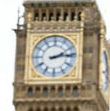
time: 2:13
